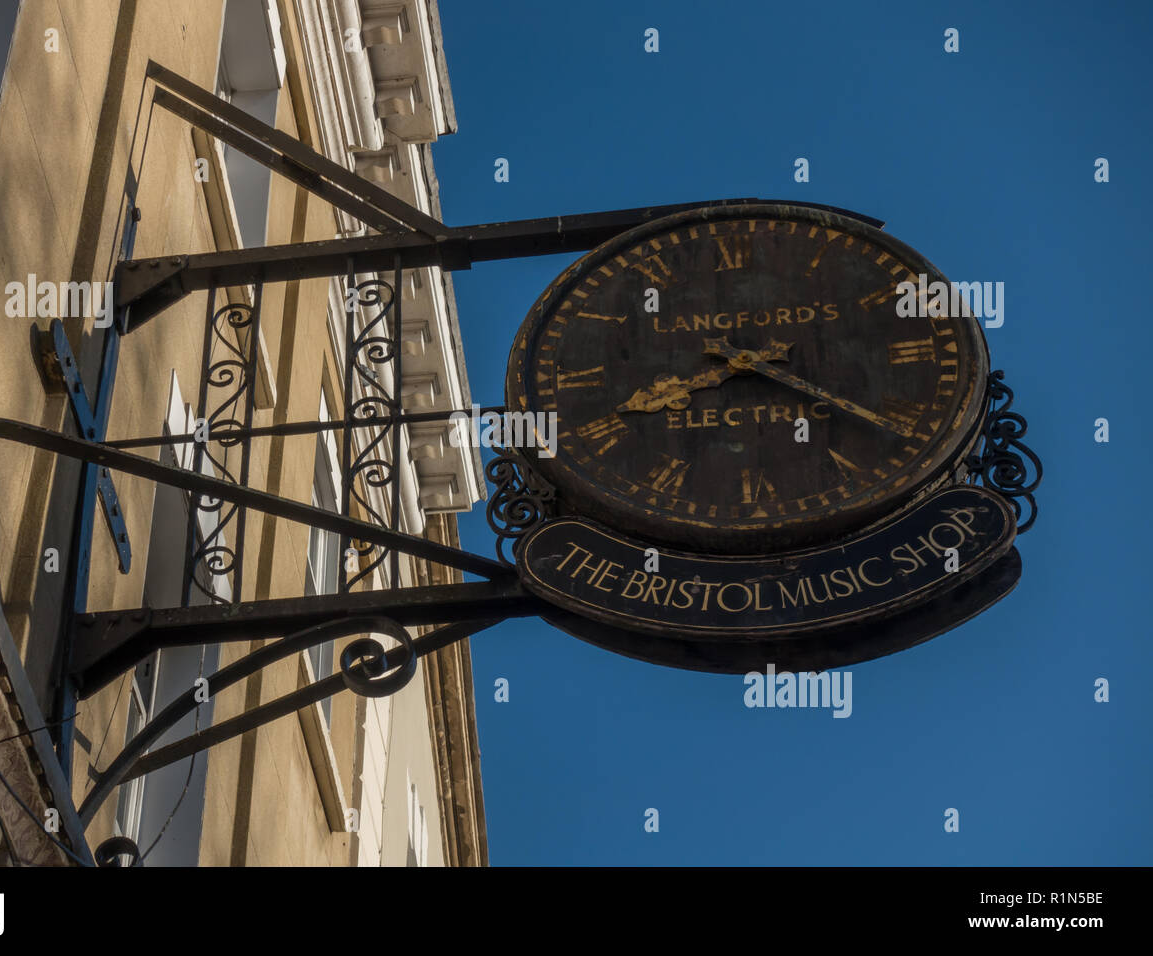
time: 8:20
